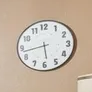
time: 5:43
